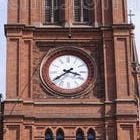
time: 3:39
